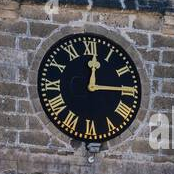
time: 12:14
